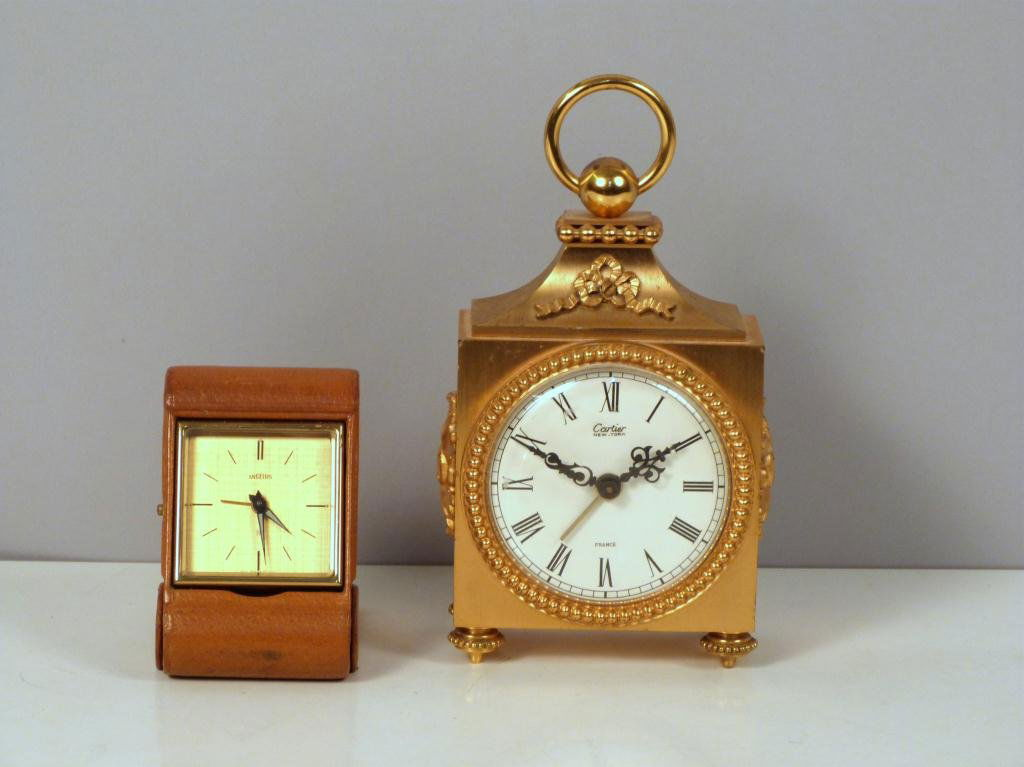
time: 1:49
